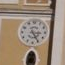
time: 3:24
